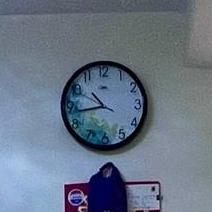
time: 10:43
